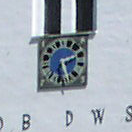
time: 5:11
